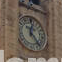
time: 12:23
